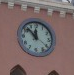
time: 11:52
